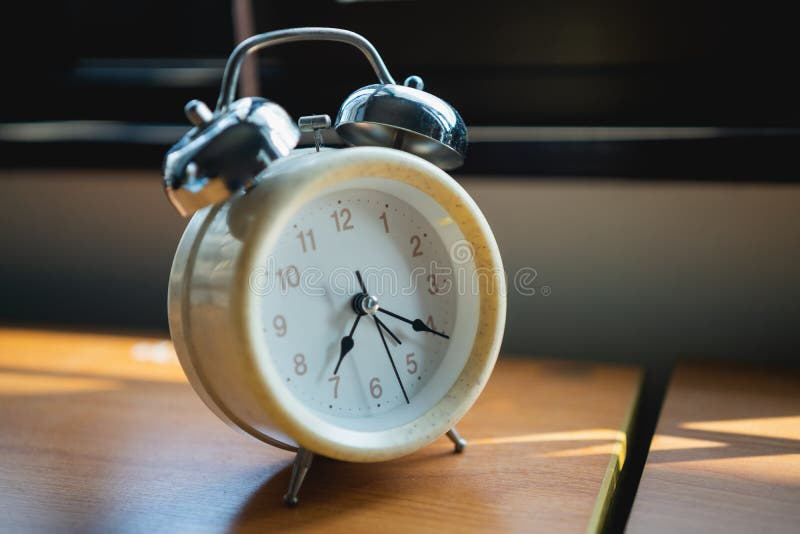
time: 7:20
